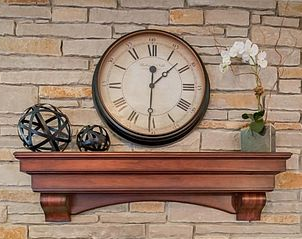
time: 1:30
